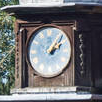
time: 2:06
